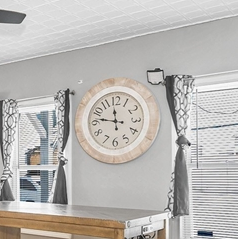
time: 11:46
